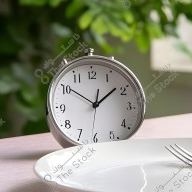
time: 1:50
